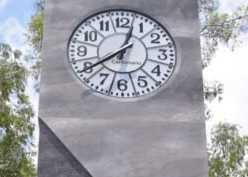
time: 12:39
